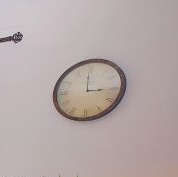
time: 2:59
